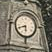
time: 5:41
